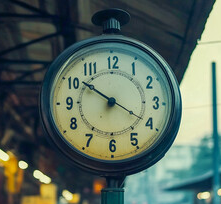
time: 10:19
